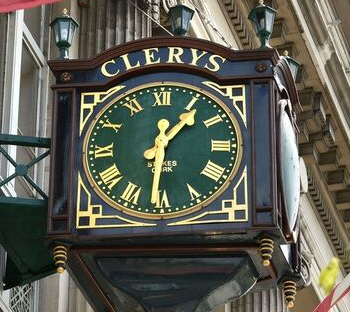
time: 1:31
